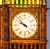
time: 9:53
